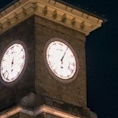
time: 6:05
